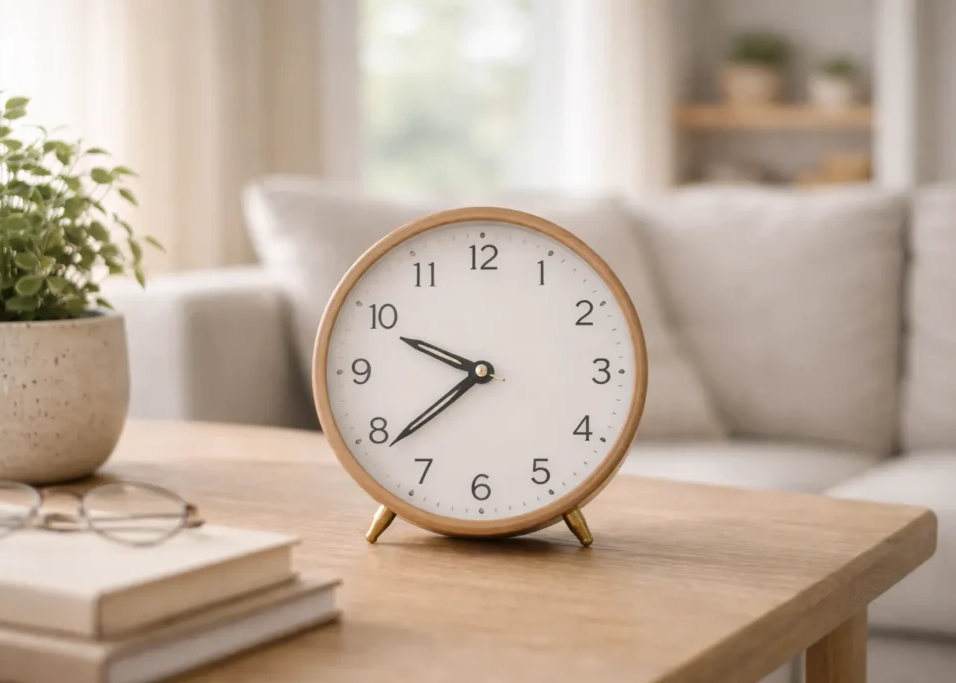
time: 9:38
